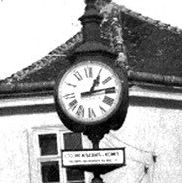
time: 1:13
